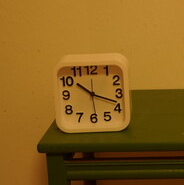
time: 10:18
